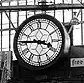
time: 3:45
